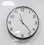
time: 11:23
